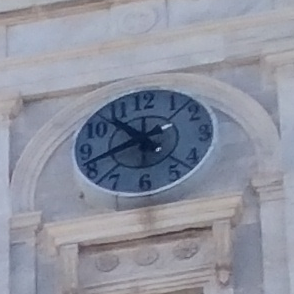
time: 10:41
